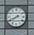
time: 7:40
